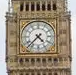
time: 4:37
